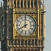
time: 7:59
